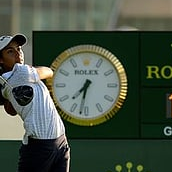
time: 7:32
